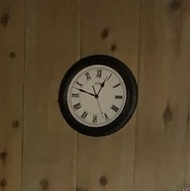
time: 12:47
